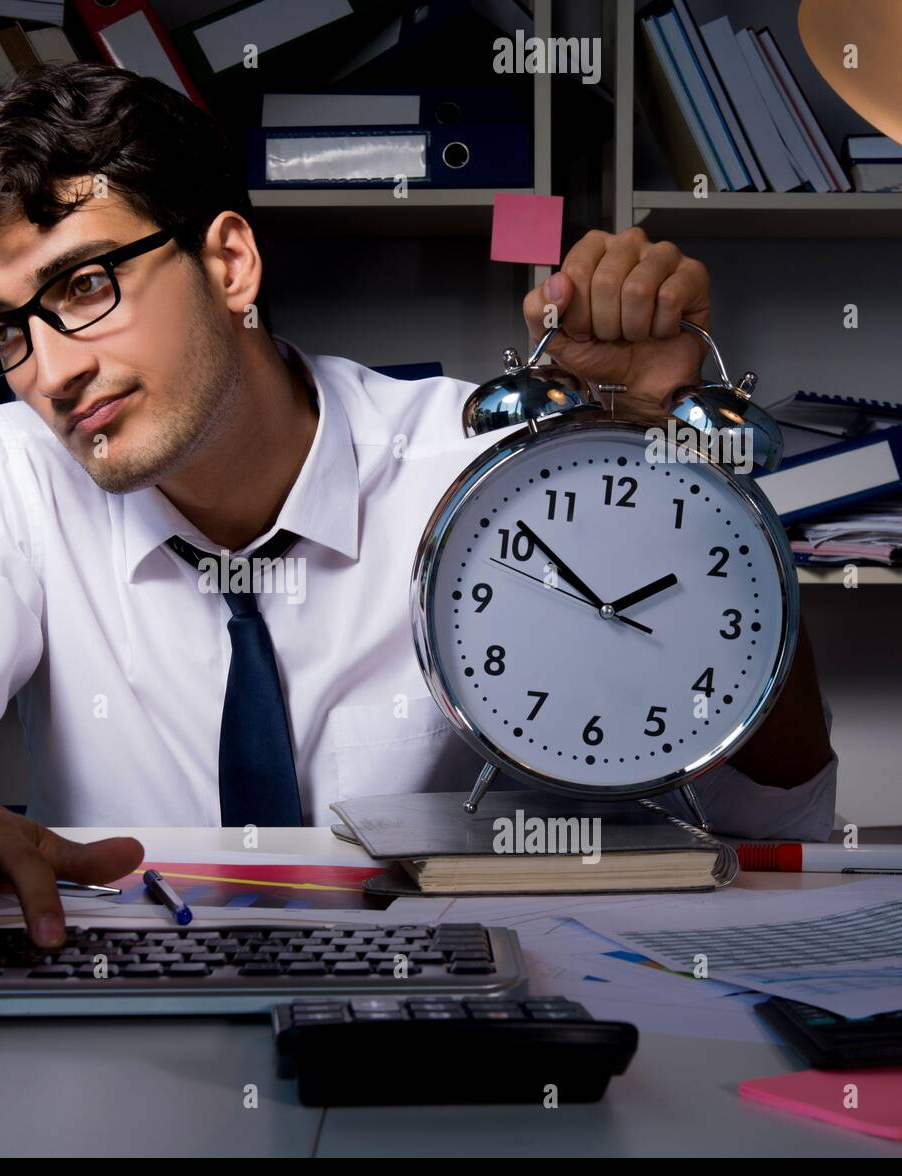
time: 1:51
